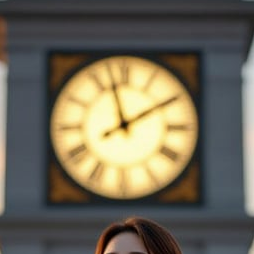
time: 1:57
